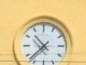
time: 10:37
